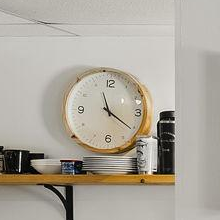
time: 11:20
